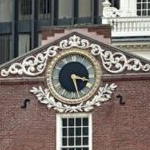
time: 3:27
